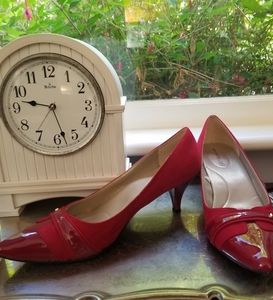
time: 9:27
